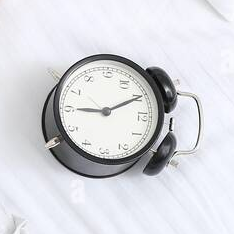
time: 9:10
